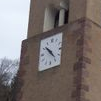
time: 10:22
